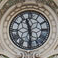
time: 11:29
